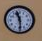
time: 11:29
